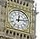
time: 12:13
